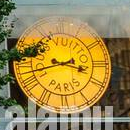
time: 3:42
